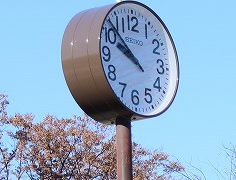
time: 9:52
